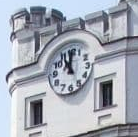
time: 11:00
